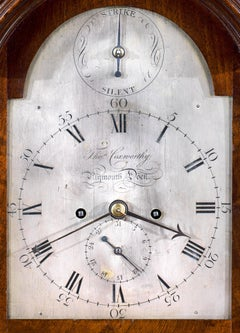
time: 3:40
